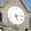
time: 5:13
